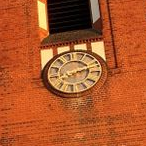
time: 2:11
